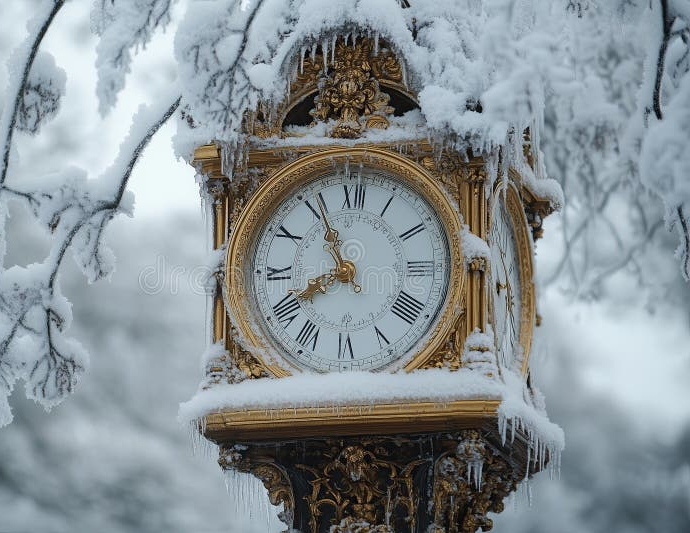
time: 7:55
